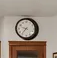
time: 9:36
